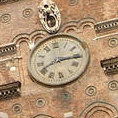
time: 8:15
